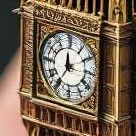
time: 11:35
